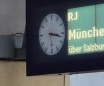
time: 3:17
